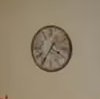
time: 3:35
